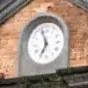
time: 6:56
